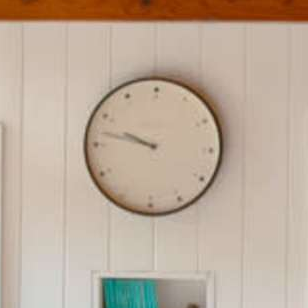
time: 9:47
